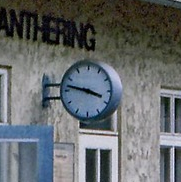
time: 3:47
